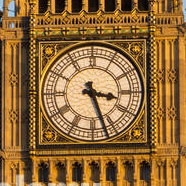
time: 3:26
